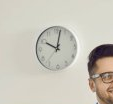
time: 10:02
